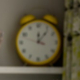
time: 12:06
